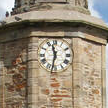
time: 11:32
